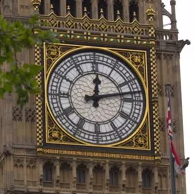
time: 12:12
